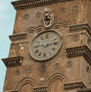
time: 9:12
